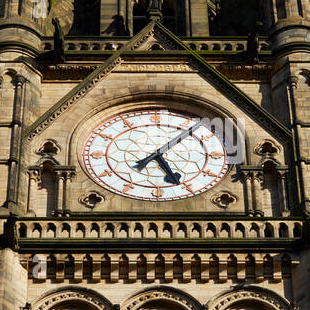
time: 5:06
